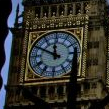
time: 11:49
